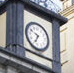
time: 6:49
